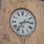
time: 2:36
